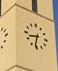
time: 8:32
